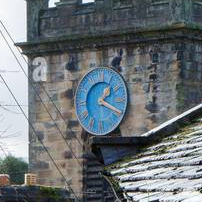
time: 1:19
